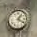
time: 1:20
